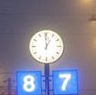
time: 12:59
